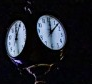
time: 12:07
